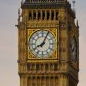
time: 8:04
